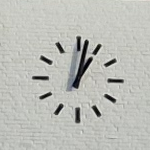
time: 1:02
